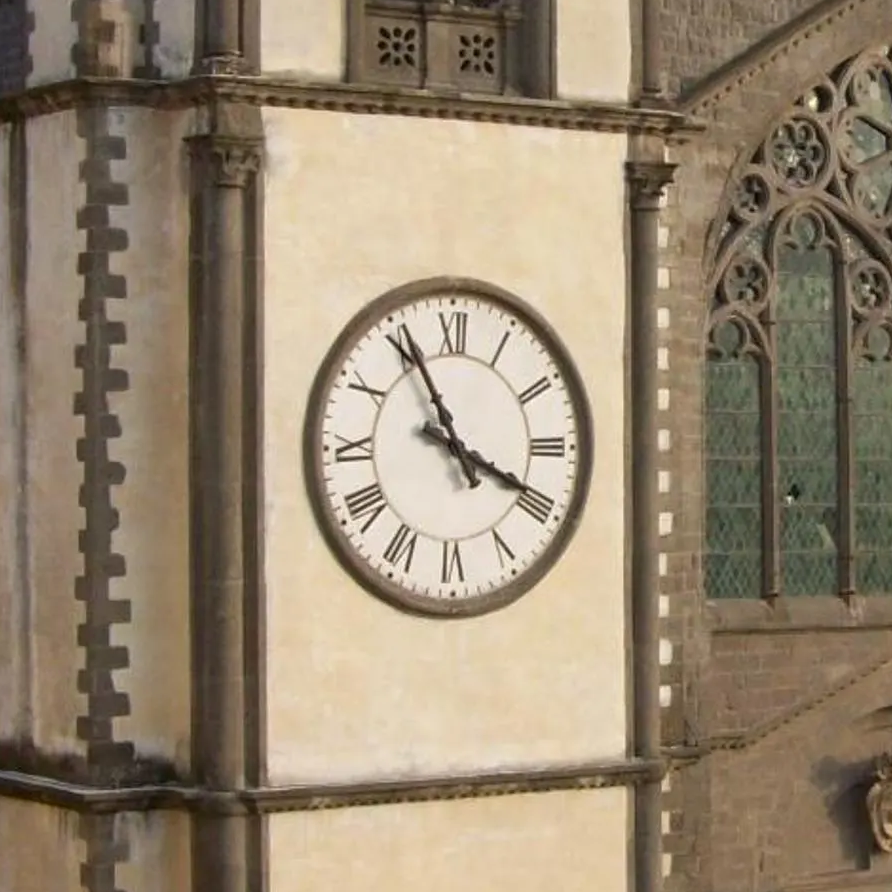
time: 3:55
